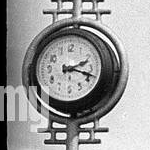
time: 2:18
